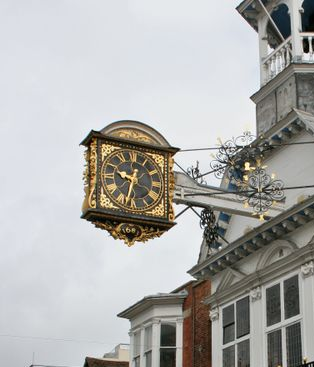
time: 9:32
